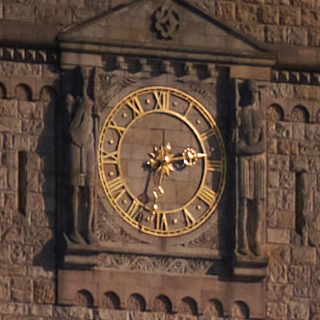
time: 2:33
